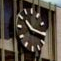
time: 10:15
